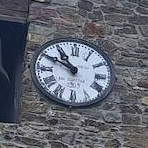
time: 10:50
